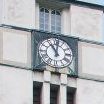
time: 11:01
